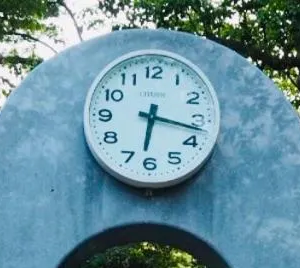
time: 6:17
